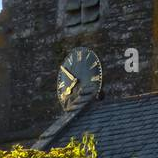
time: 7:51
